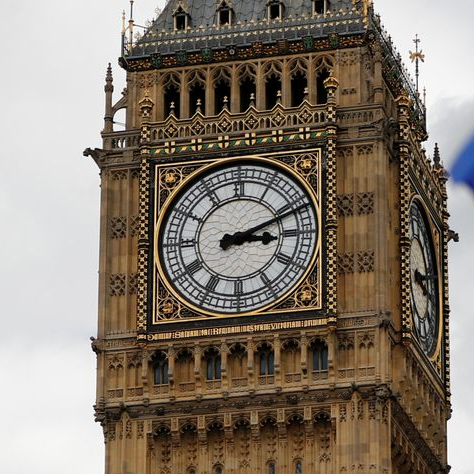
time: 3:11
